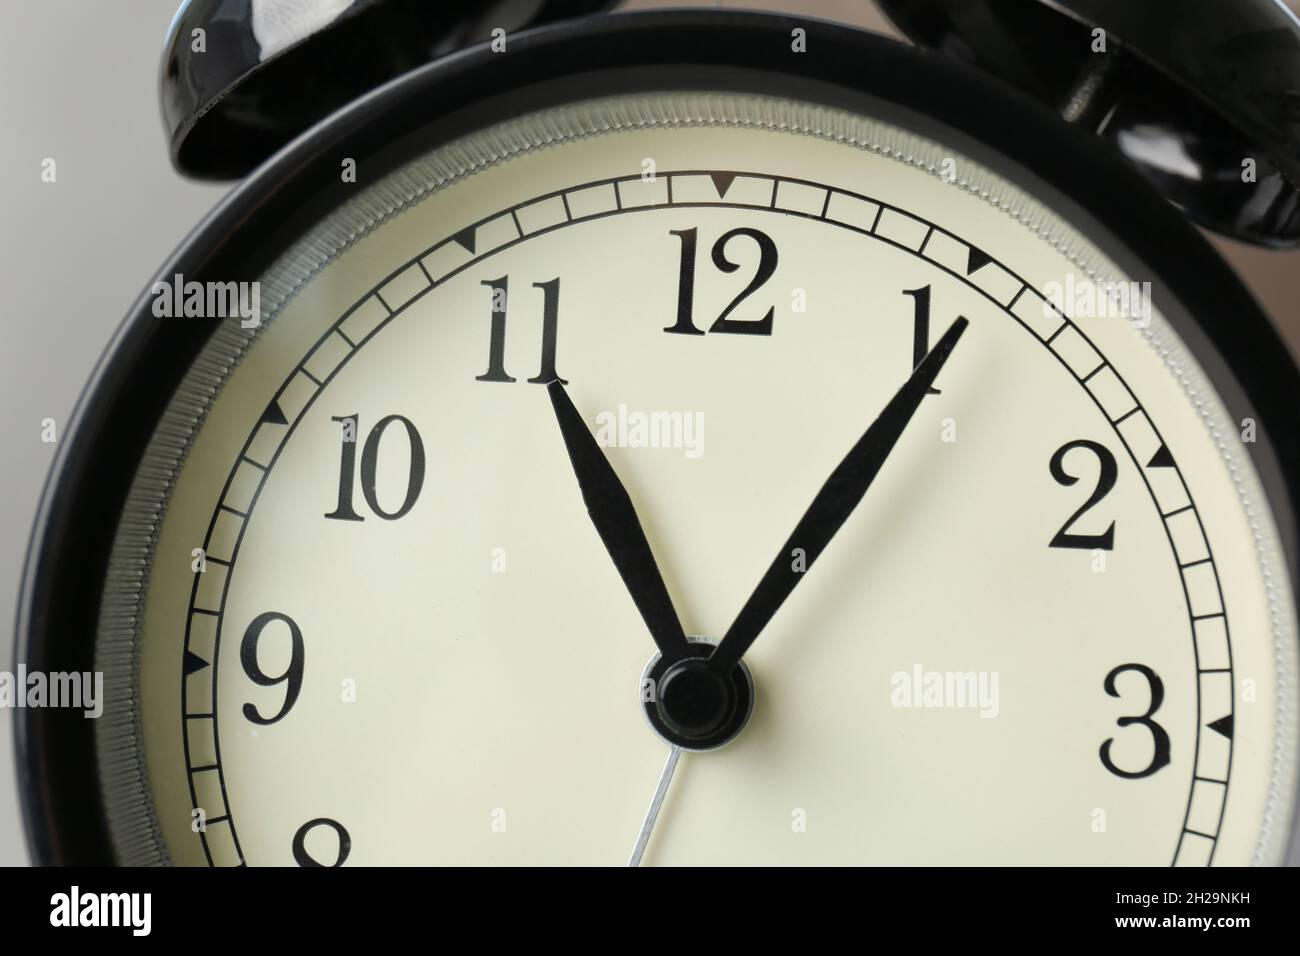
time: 11:05
